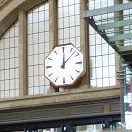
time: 12:07
